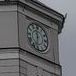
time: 11:32
